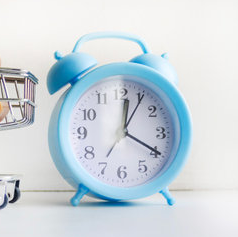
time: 12:19
